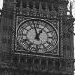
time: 12:57
